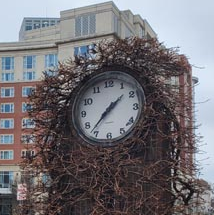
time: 1:36
